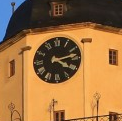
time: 4:13
